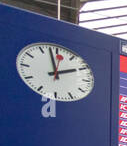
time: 1:57
